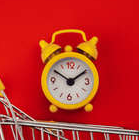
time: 1:50
